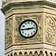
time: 2:44
